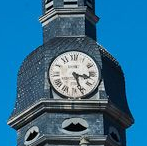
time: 3:26
